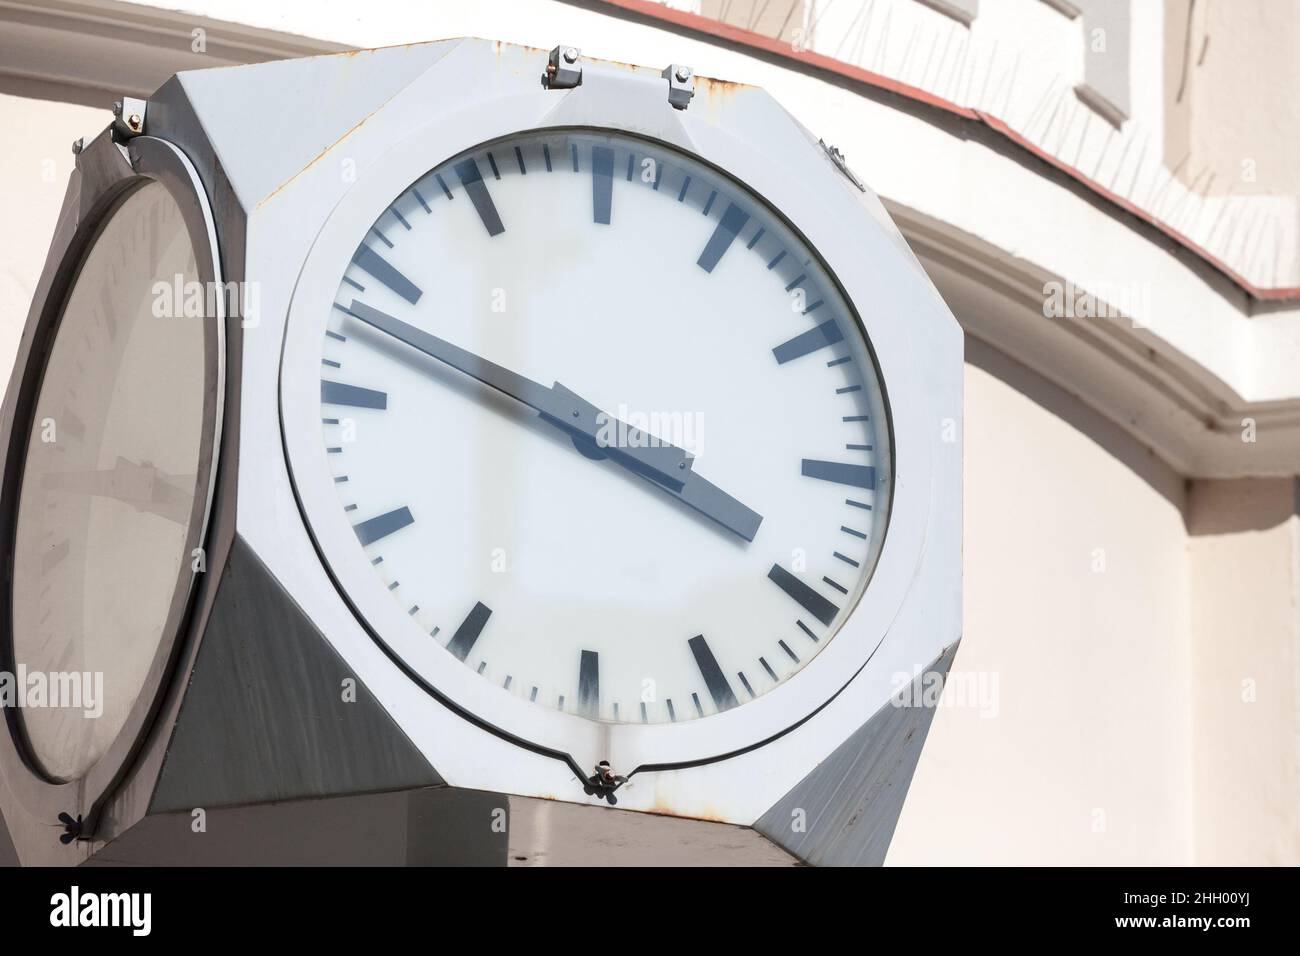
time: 3:48
